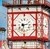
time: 2:32
